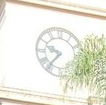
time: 9:36
